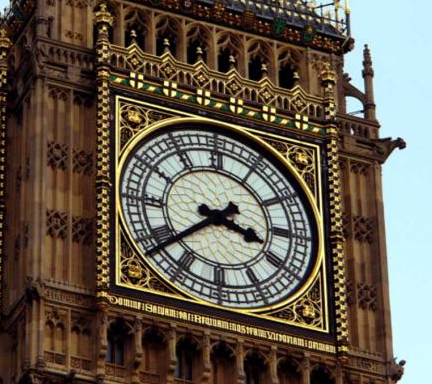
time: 3:38
